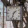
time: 1:33
